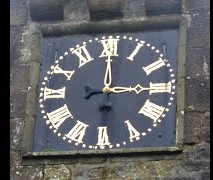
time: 3:00
